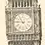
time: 10:45
